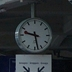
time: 9:28
